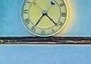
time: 4:35
